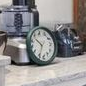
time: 10:33
